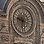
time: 9:31
